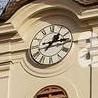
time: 1:13
